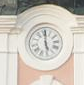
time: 6:00
